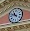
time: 10:47
